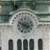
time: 3:48
